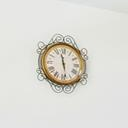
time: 11:28
